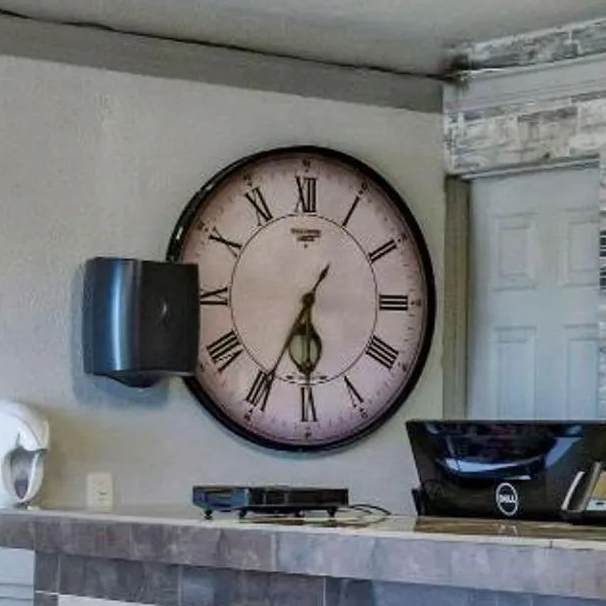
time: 5:34
